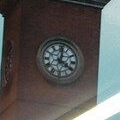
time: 4:01
